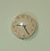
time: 9:25
